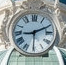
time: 9:10
